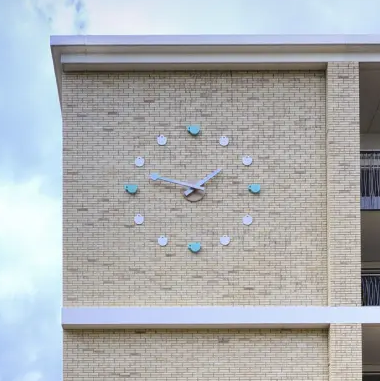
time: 1:47
